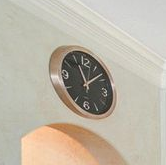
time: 11:08
